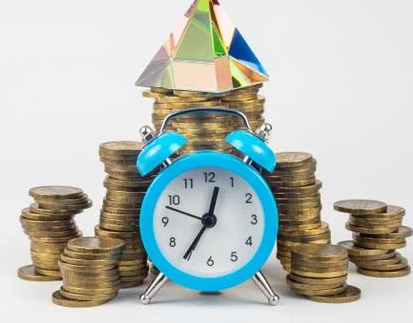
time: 12:35
